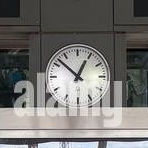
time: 12:52
